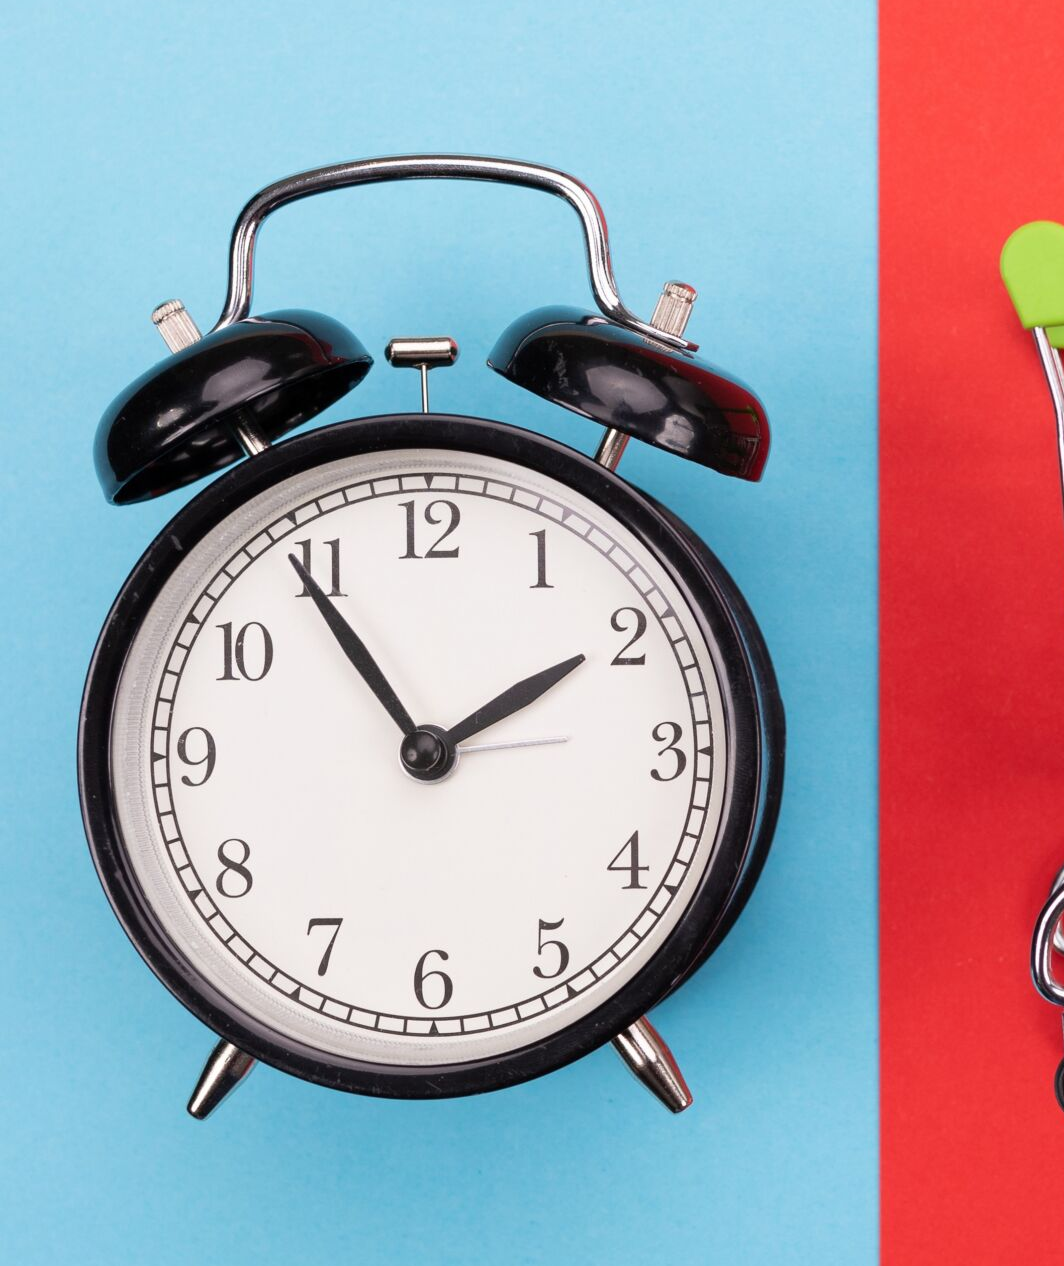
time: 1:54
